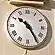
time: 10:24
